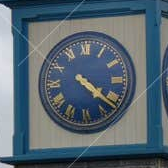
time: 4:21
